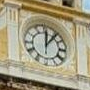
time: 12:06
